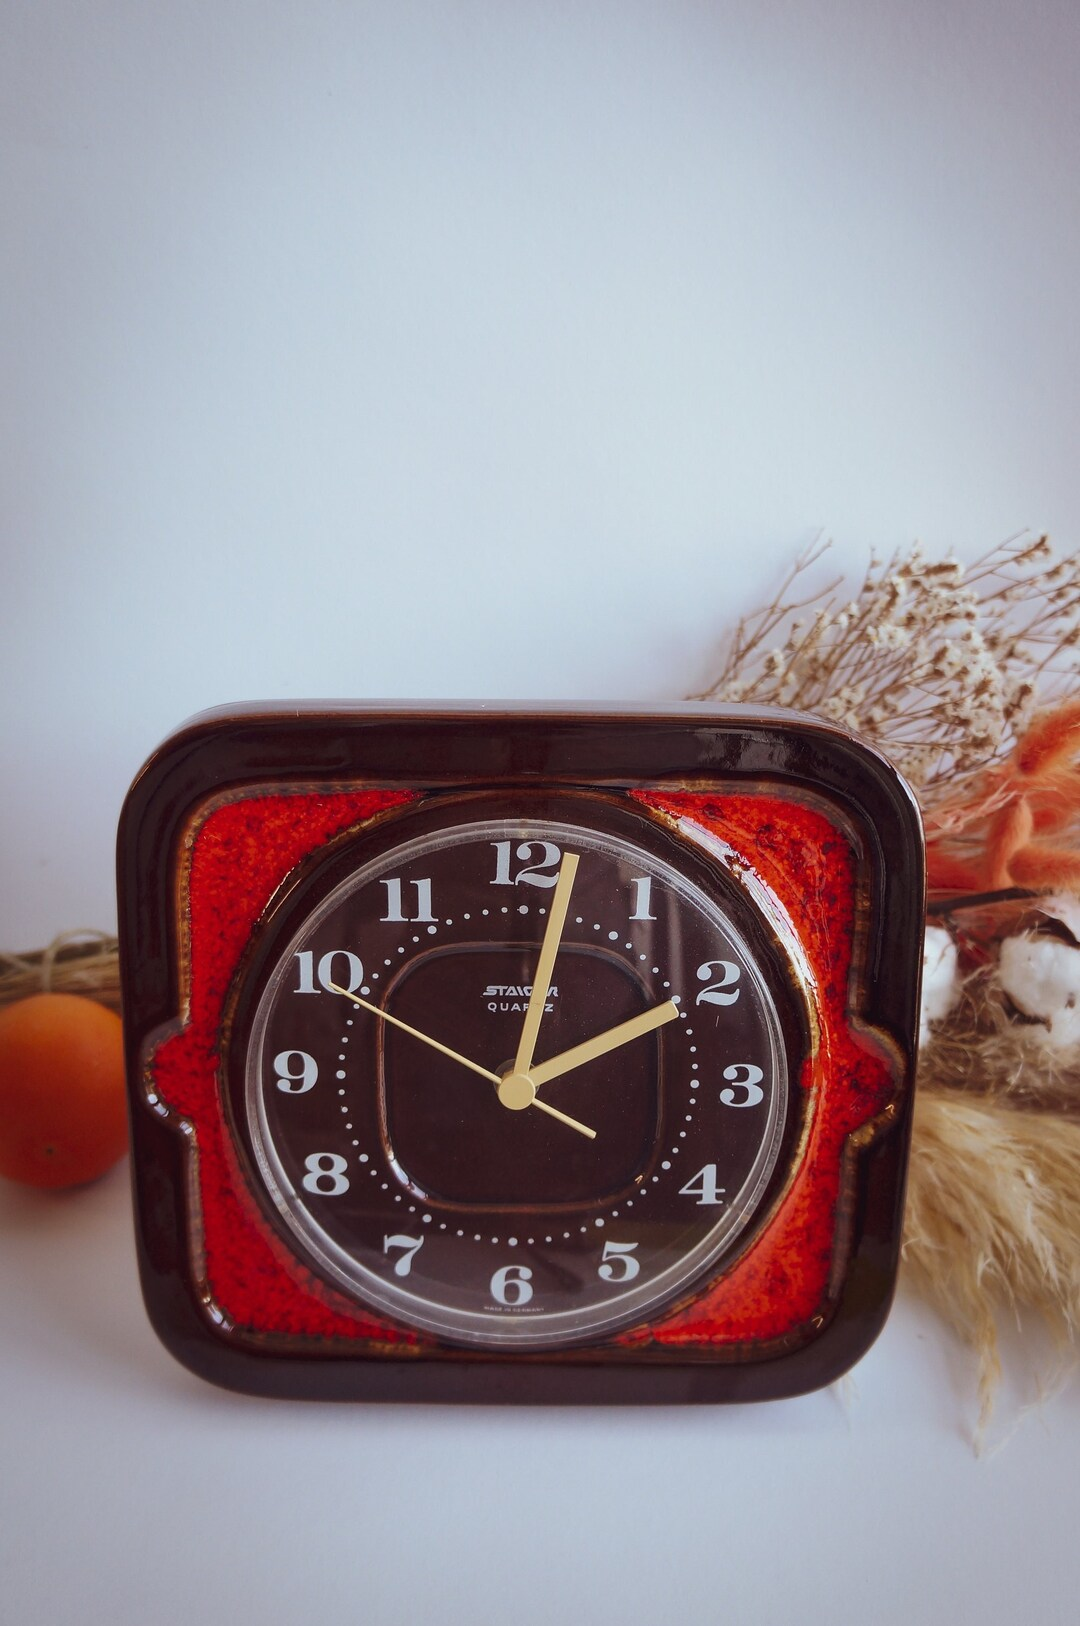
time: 2:01
